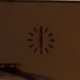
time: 6:00
